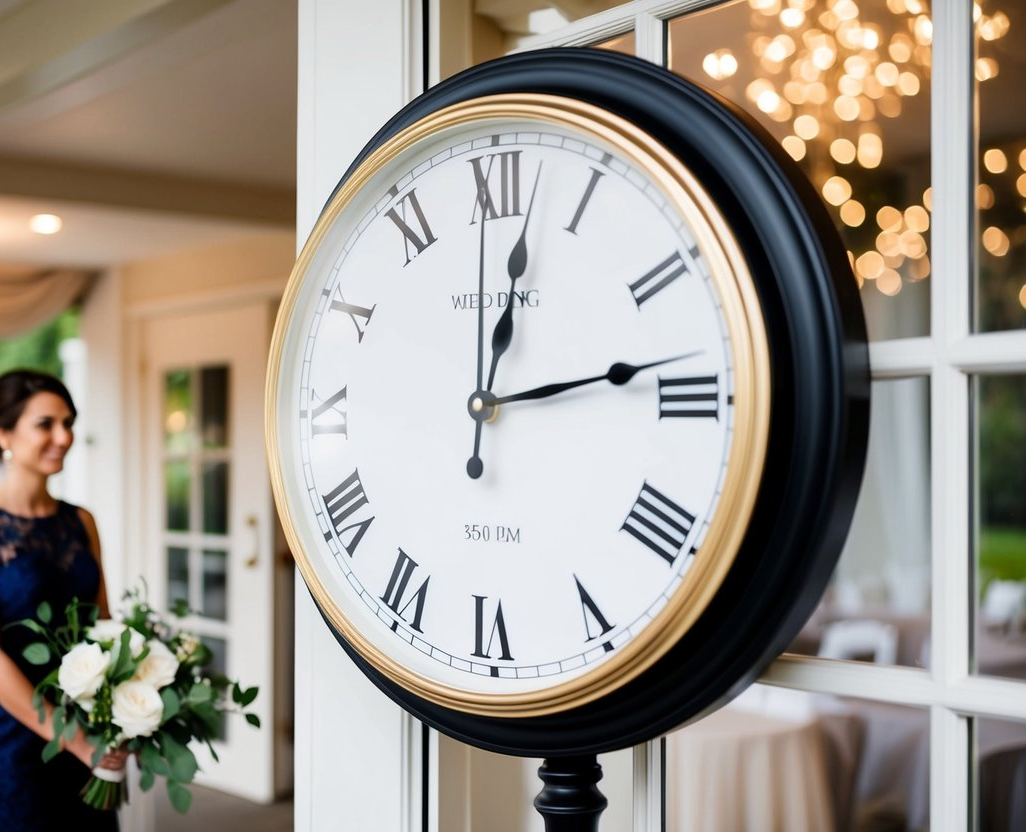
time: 12:13
